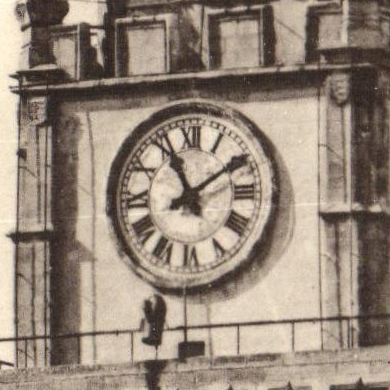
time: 11:09
